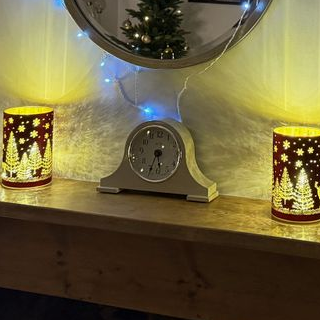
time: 5:32
